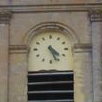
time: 4:26
